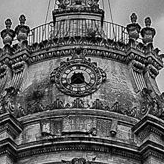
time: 7:21
